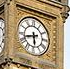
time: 5:42
